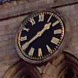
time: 1:39
